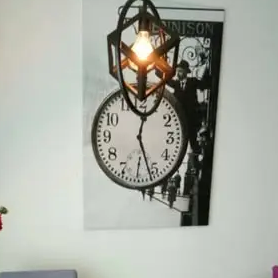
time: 12:26
